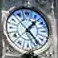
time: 1:23
